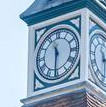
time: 11:30
